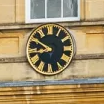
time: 8:50
